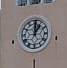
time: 1:00
